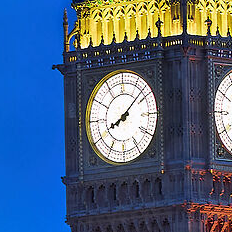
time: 8:07
